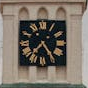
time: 7:24
